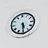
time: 5:30
